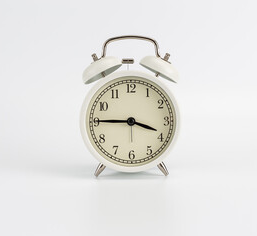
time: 3:45
